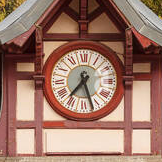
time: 7:27
